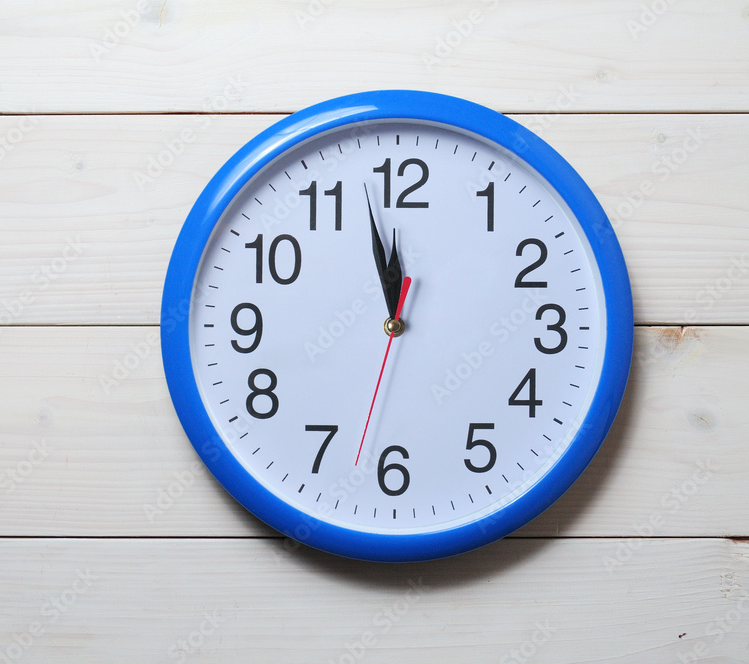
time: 11:57
